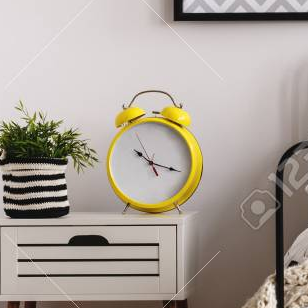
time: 10:17
